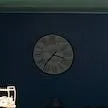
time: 3:37
